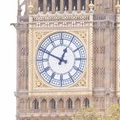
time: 12:49
